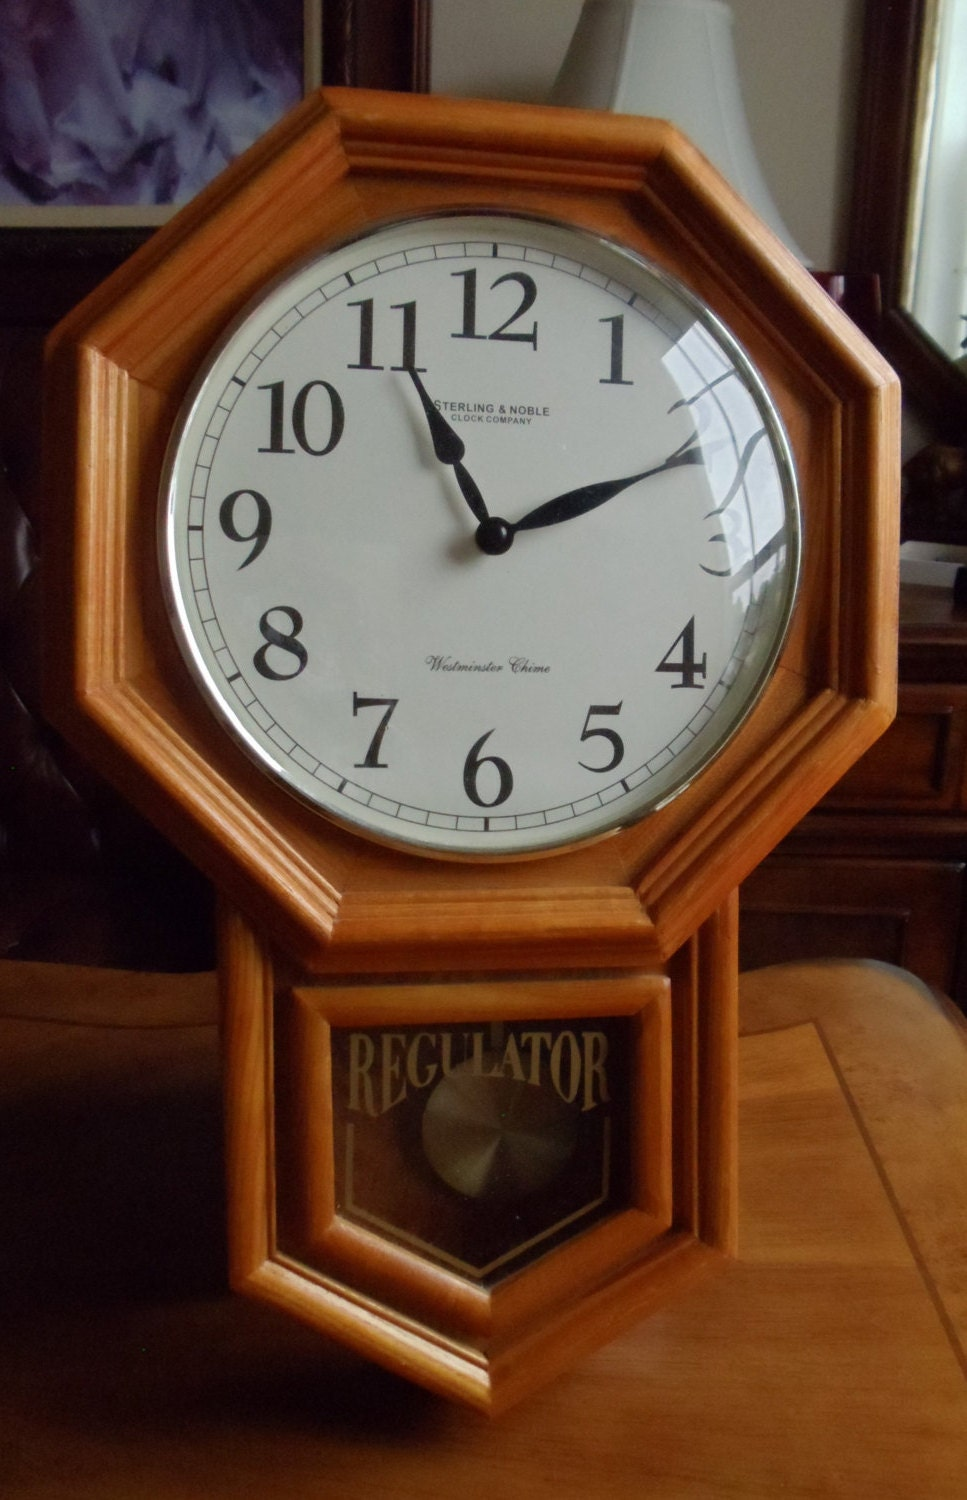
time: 11:10
